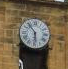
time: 5:53
